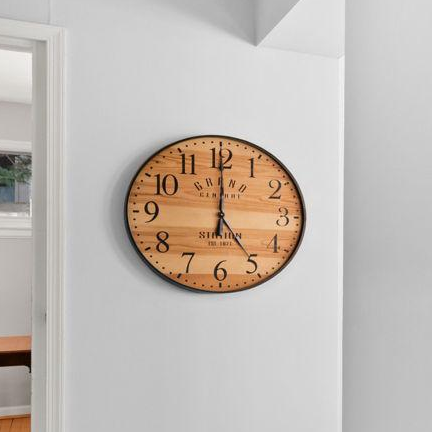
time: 5:00
